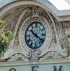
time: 10:21
